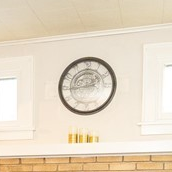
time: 1:43
